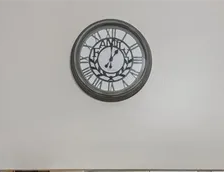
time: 1:01
